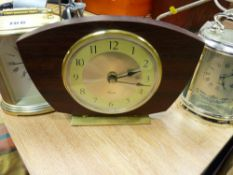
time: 3:12
